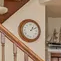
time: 1:10
